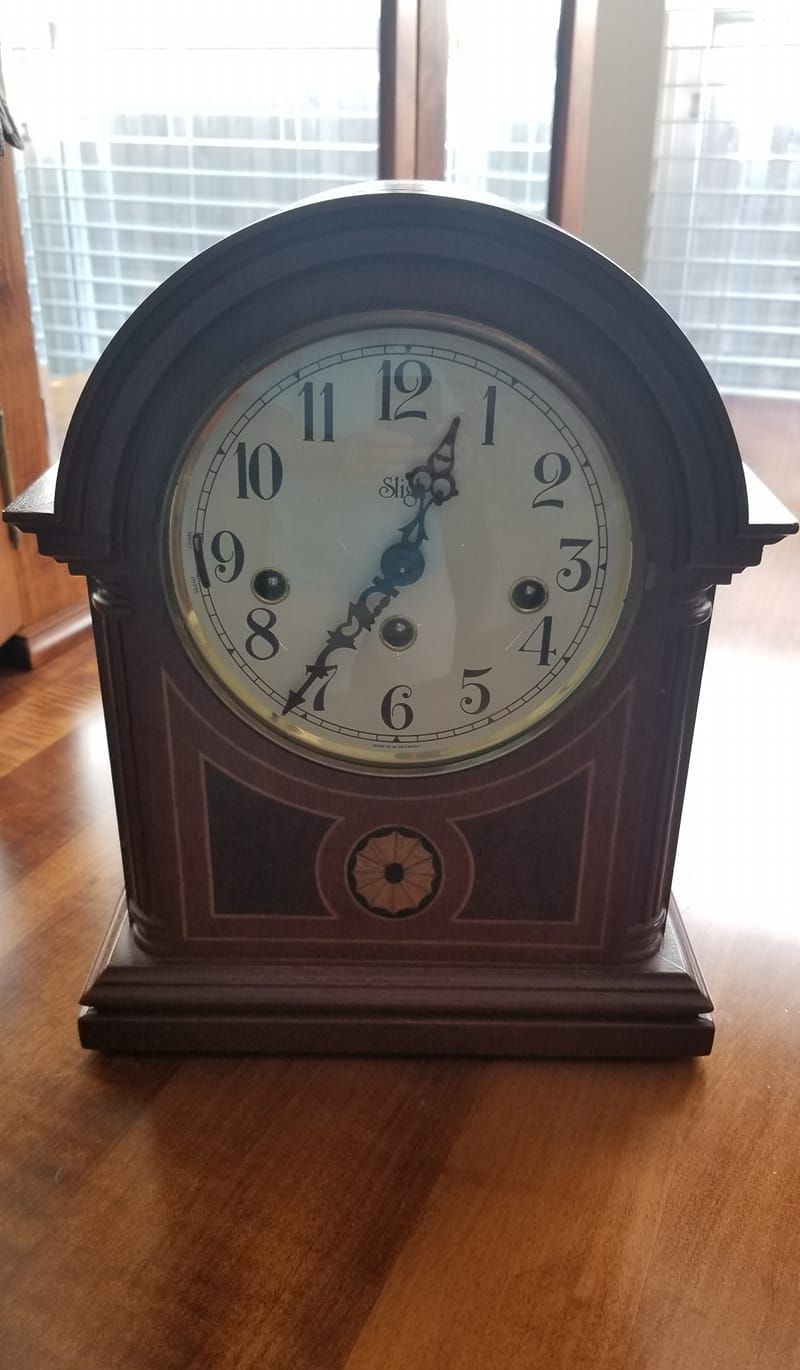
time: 12:36
